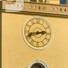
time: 2:42
